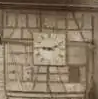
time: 9:11
